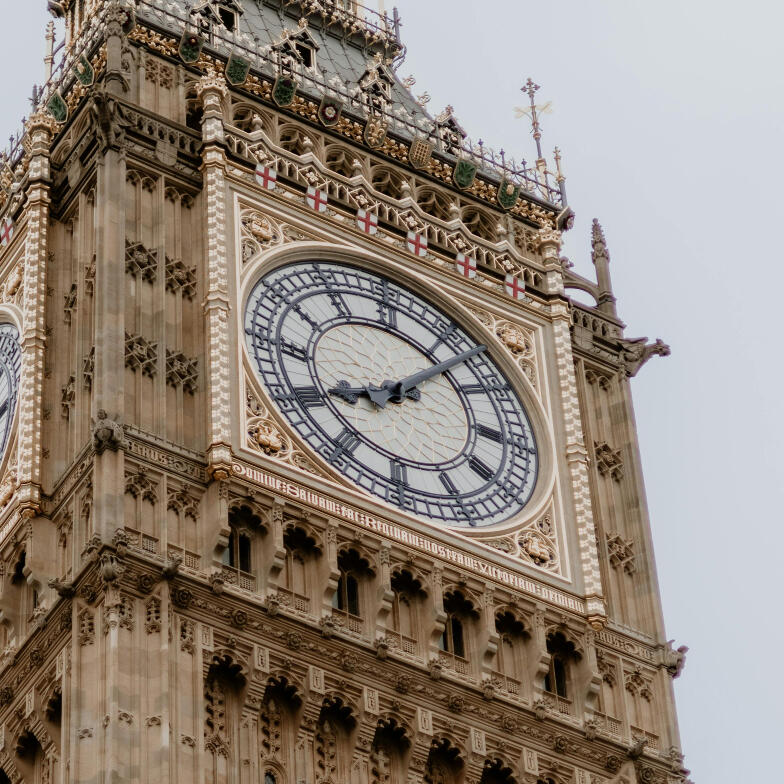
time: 8:07
